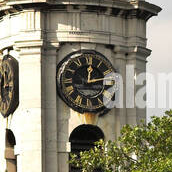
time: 12:13
